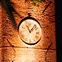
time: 11:07
